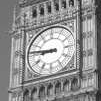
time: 8:46
